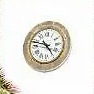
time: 4:47
